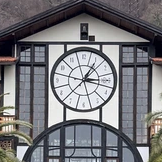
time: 1:16
